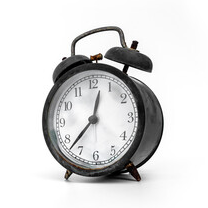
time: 12:37
